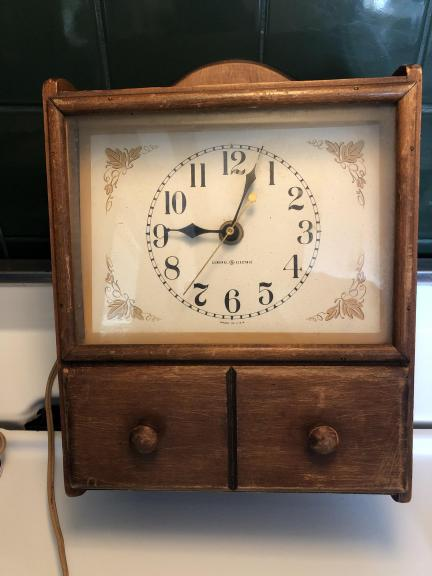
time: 9:02
